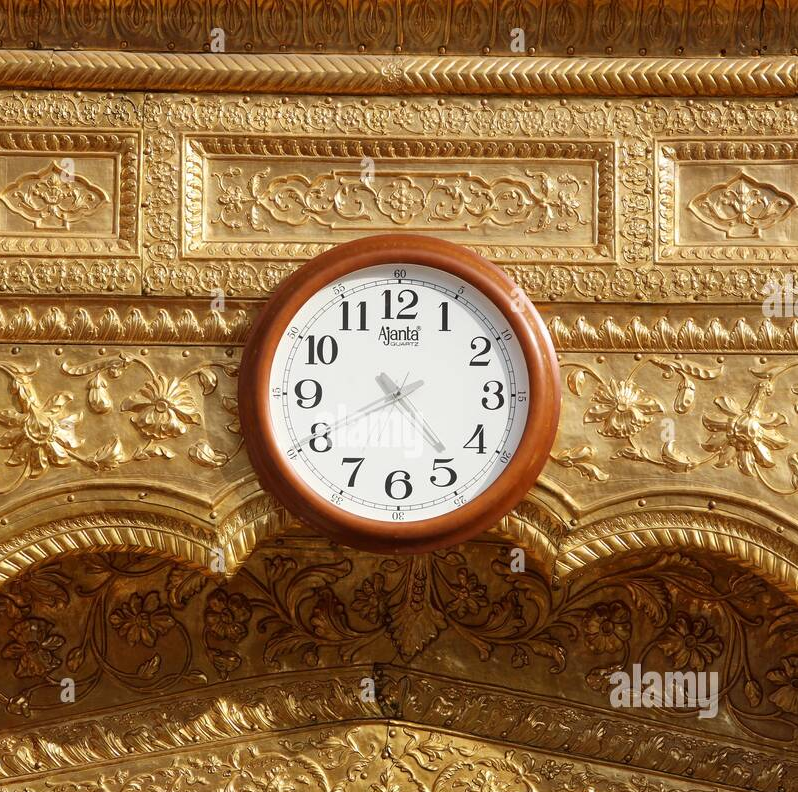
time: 4:40
